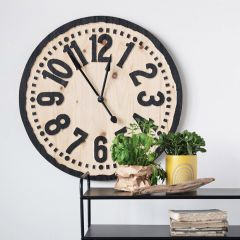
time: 12:53
